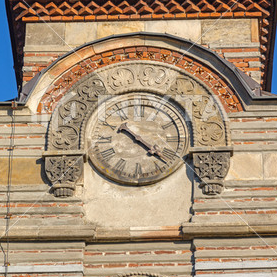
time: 10:22
